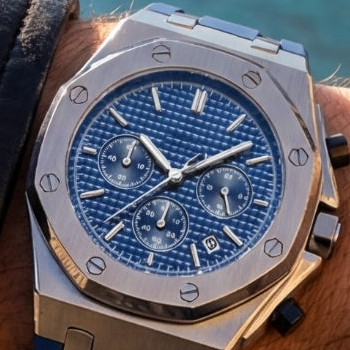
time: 10:07
